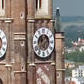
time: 1:36
